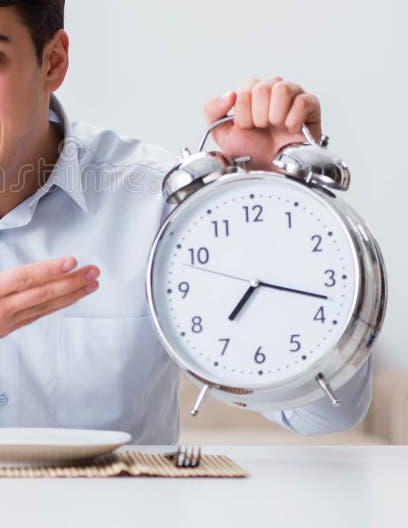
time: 7:17
